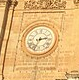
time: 2:33
